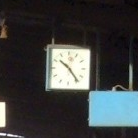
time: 10:23
